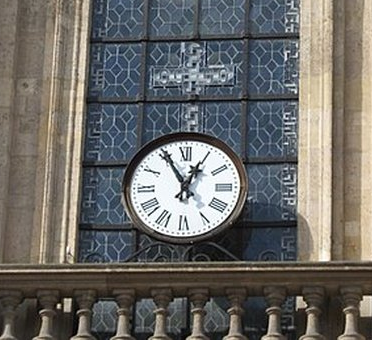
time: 12:55
